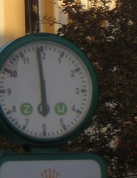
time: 5:59
